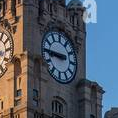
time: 8:45
